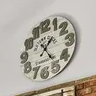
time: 1:24
